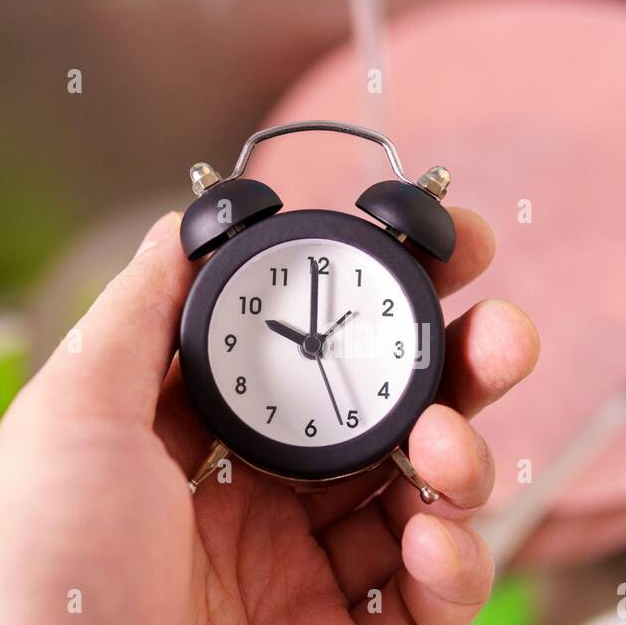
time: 10:00
